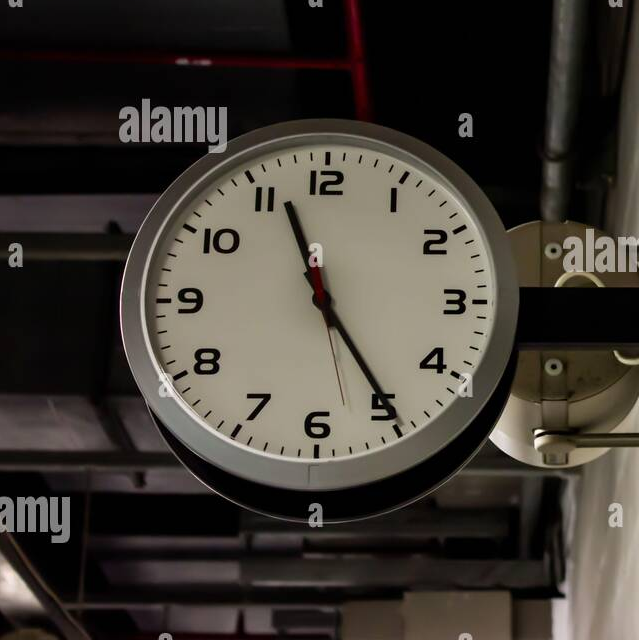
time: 11:24
